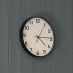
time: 4:14
